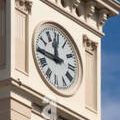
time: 11:44
